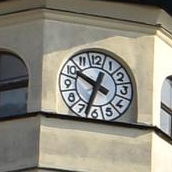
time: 9:33
